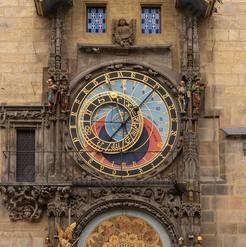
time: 7:07
